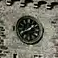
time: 1:40
